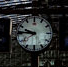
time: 9:45
